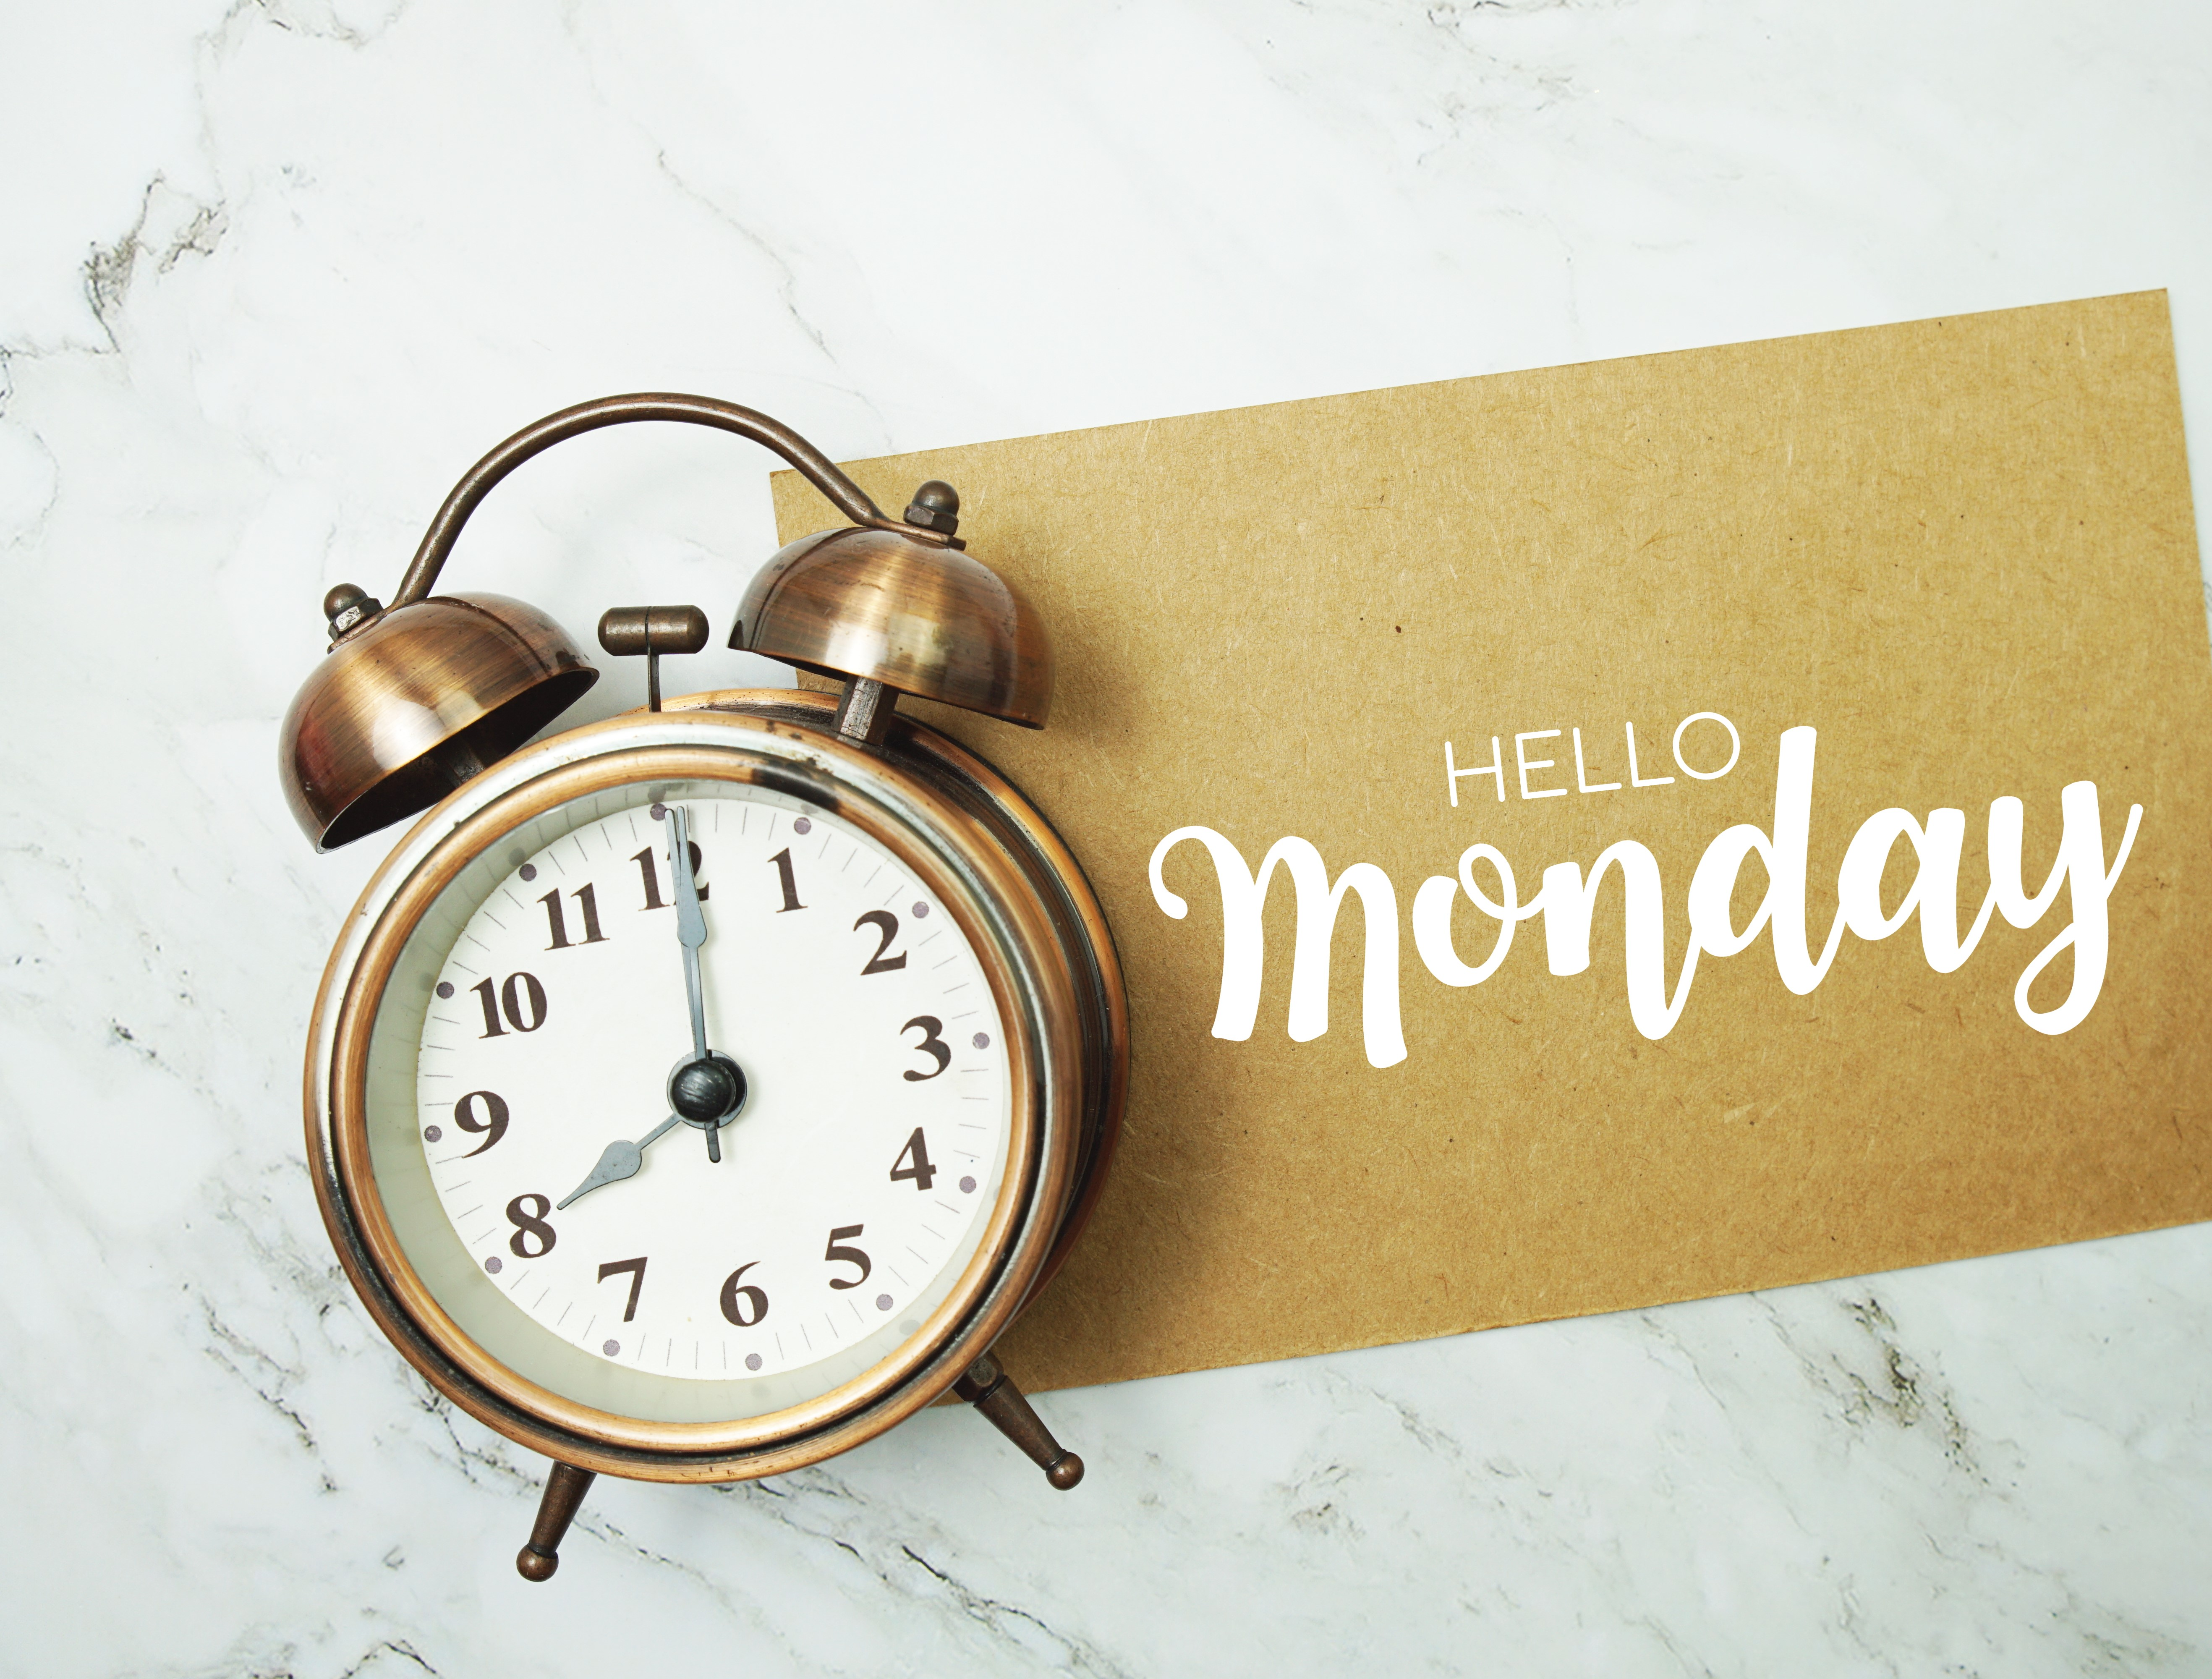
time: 8:00
